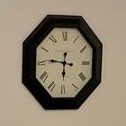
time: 5:46
